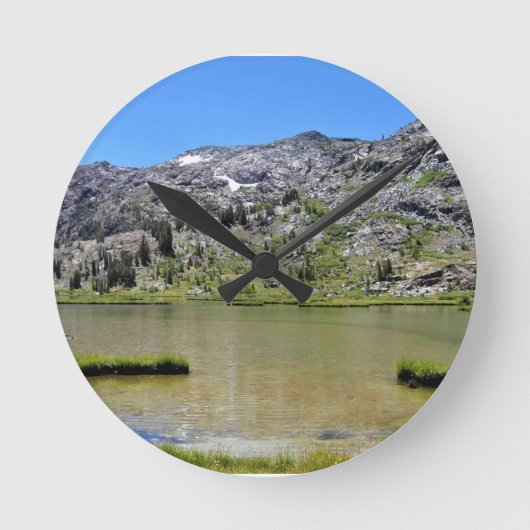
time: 10:07
